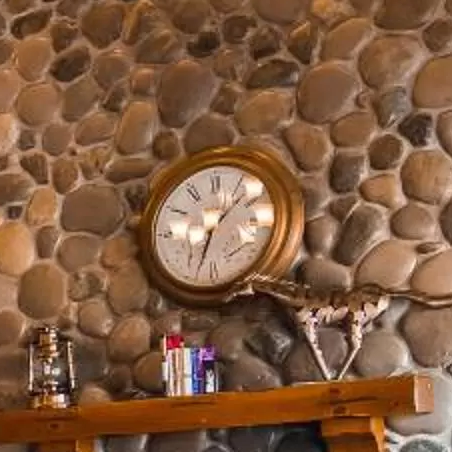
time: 1:33
